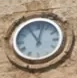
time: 11:02
